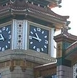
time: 10:45
